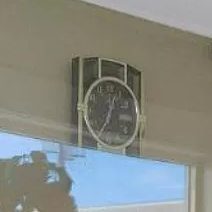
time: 12:34
